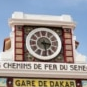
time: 3:28
